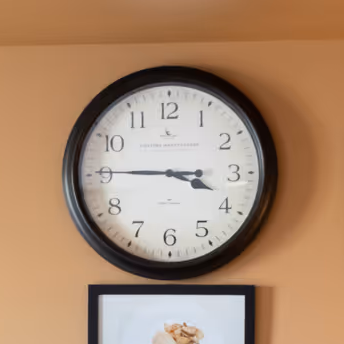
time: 3:45
